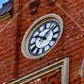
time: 10:07
